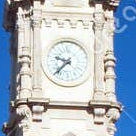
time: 9:38
